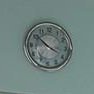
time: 3:51
